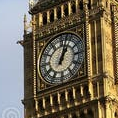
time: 1:02
